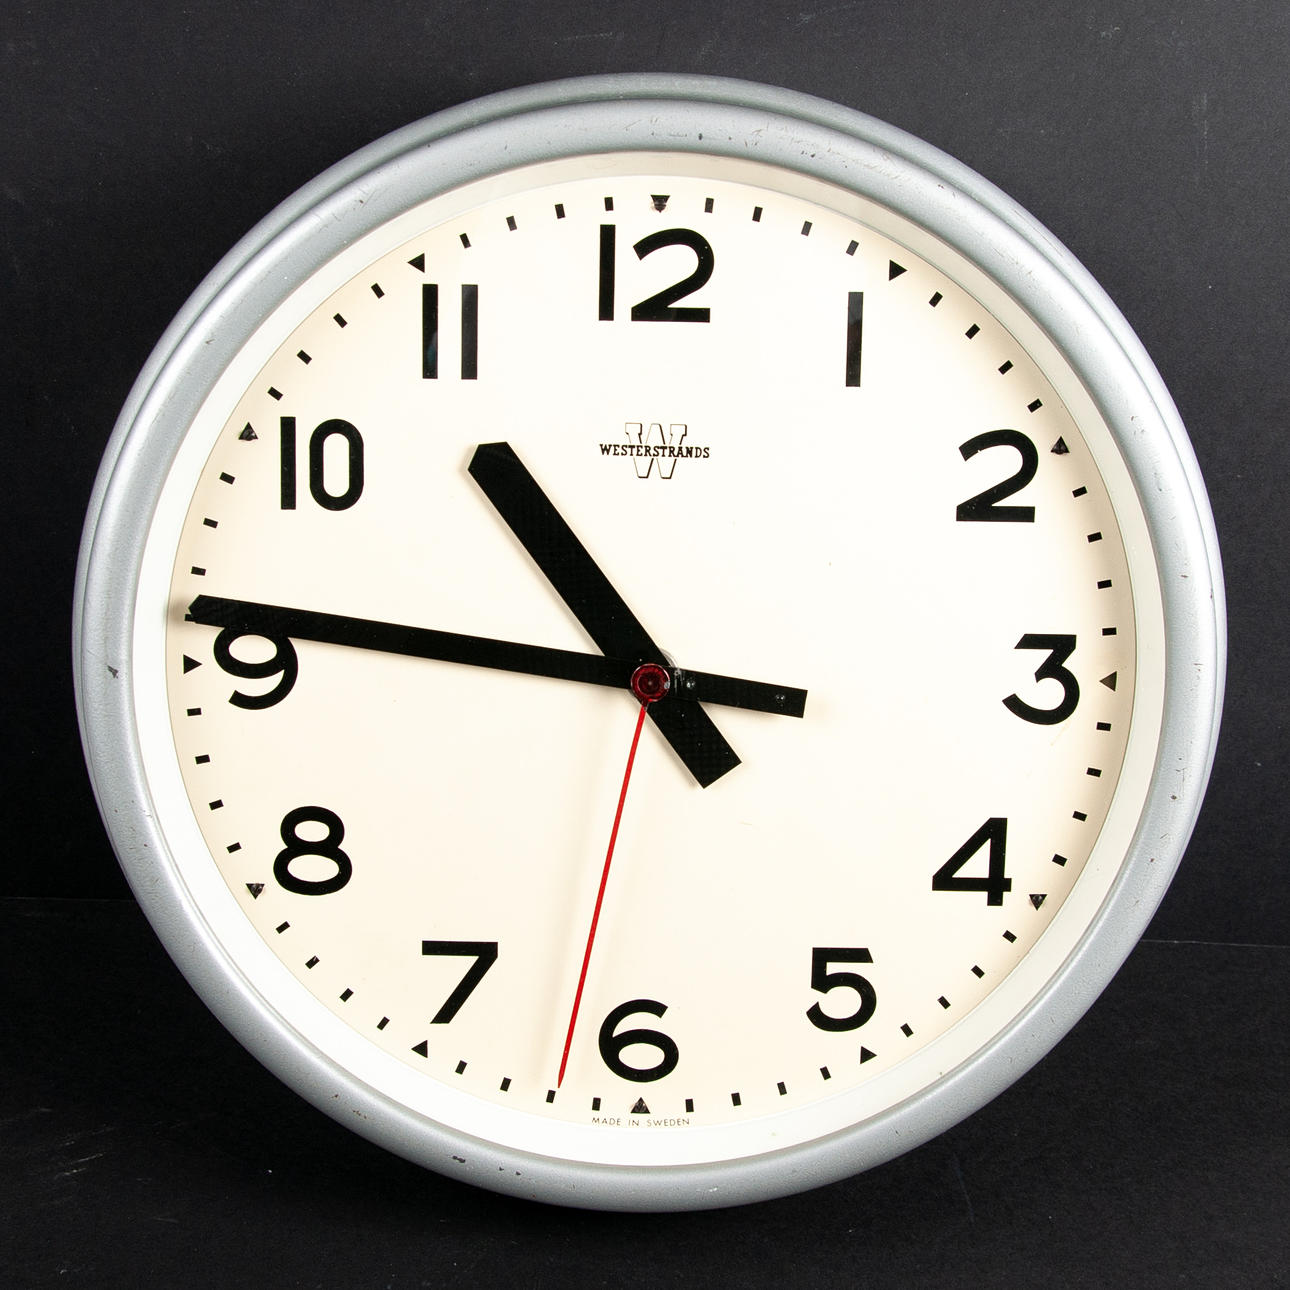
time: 10:46
